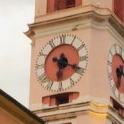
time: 6:18
